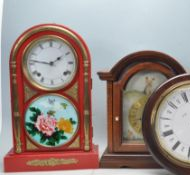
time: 1:46
